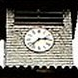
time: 2:38
